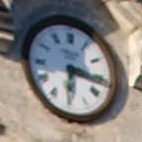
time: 6:16
